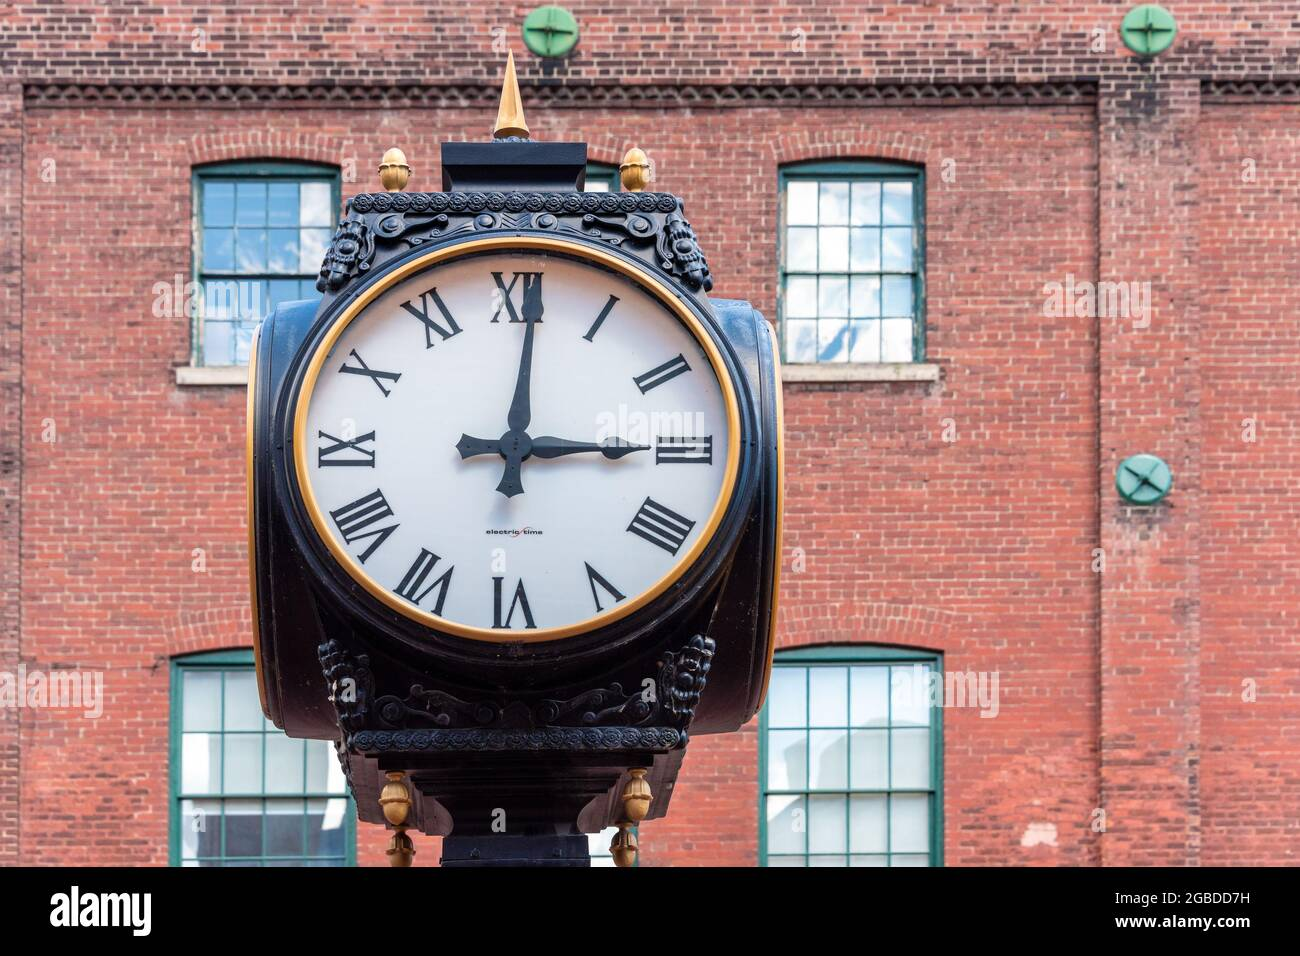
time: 3:01
